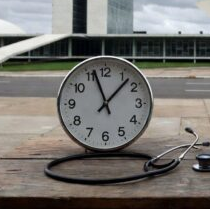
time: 11:07
